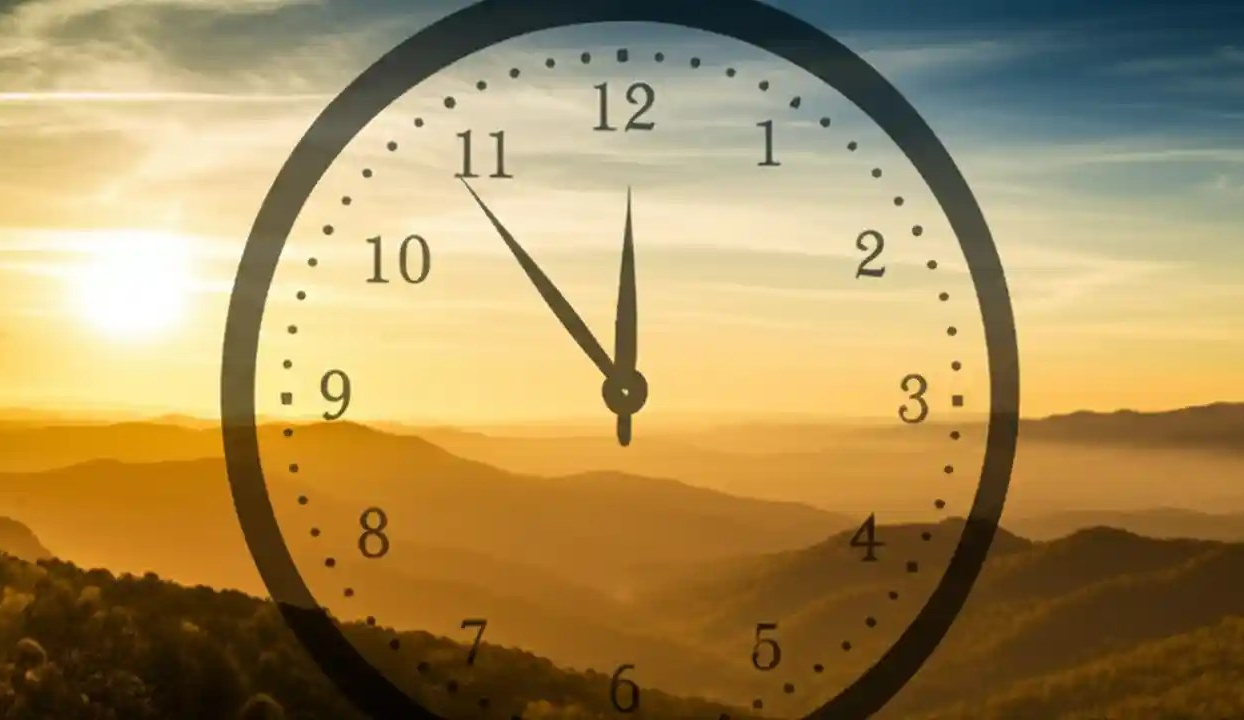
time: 11:53
